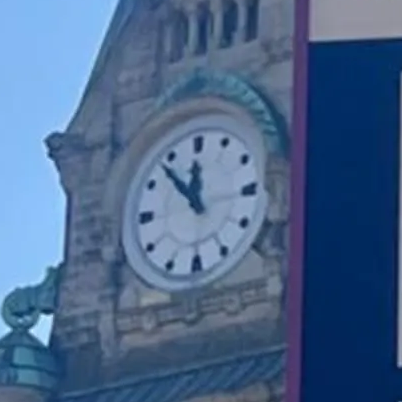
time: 11:53
